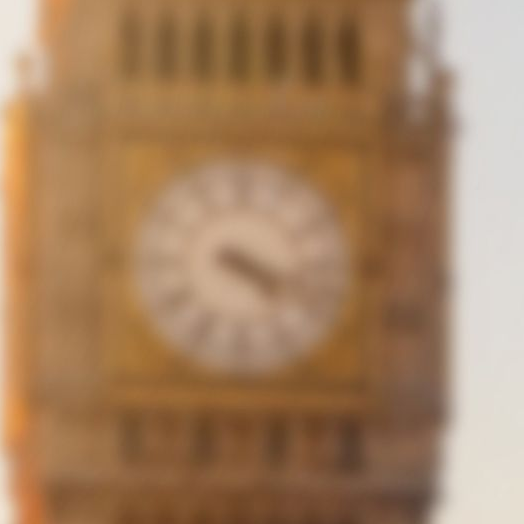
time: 4:17
